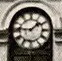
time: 1:46
